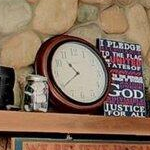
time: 10:39
